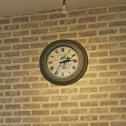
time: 2:14
